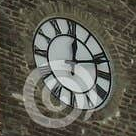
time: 12:12
